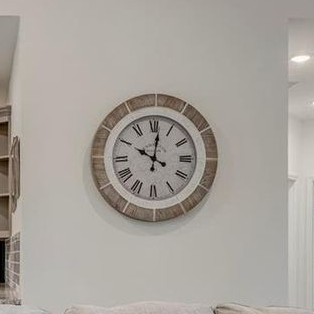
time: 10:01
